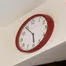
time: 5:54
